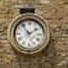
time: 1:54
